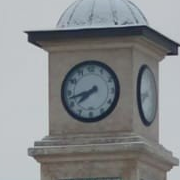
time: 7:42
